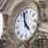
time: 4:59
